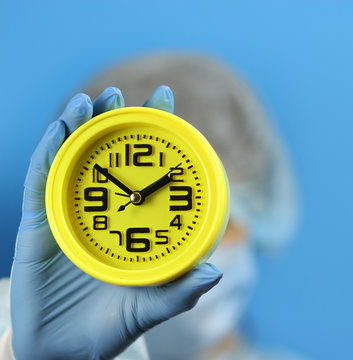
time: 1:51
